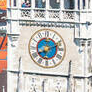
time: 8:11
